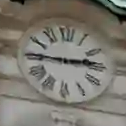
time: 2:45
